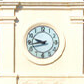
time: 9:43
